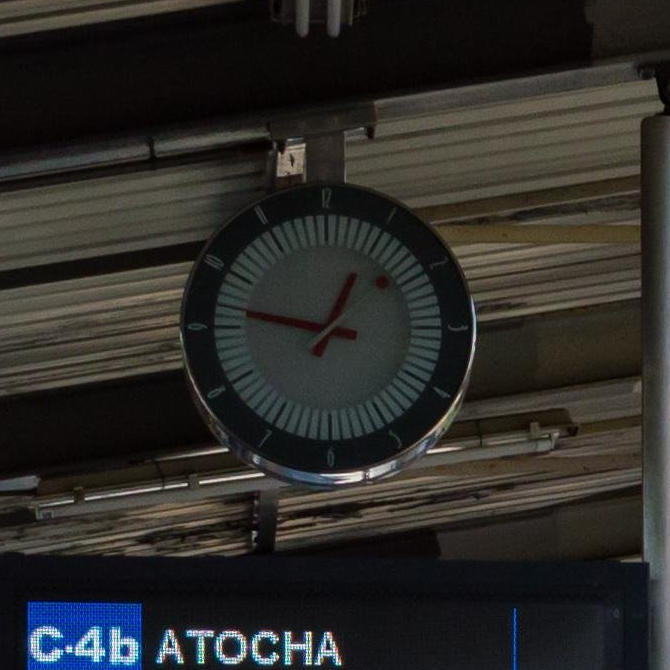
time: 12:47
